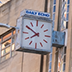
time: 7:50
